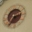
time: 2:36
